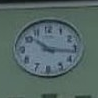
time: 10:16
